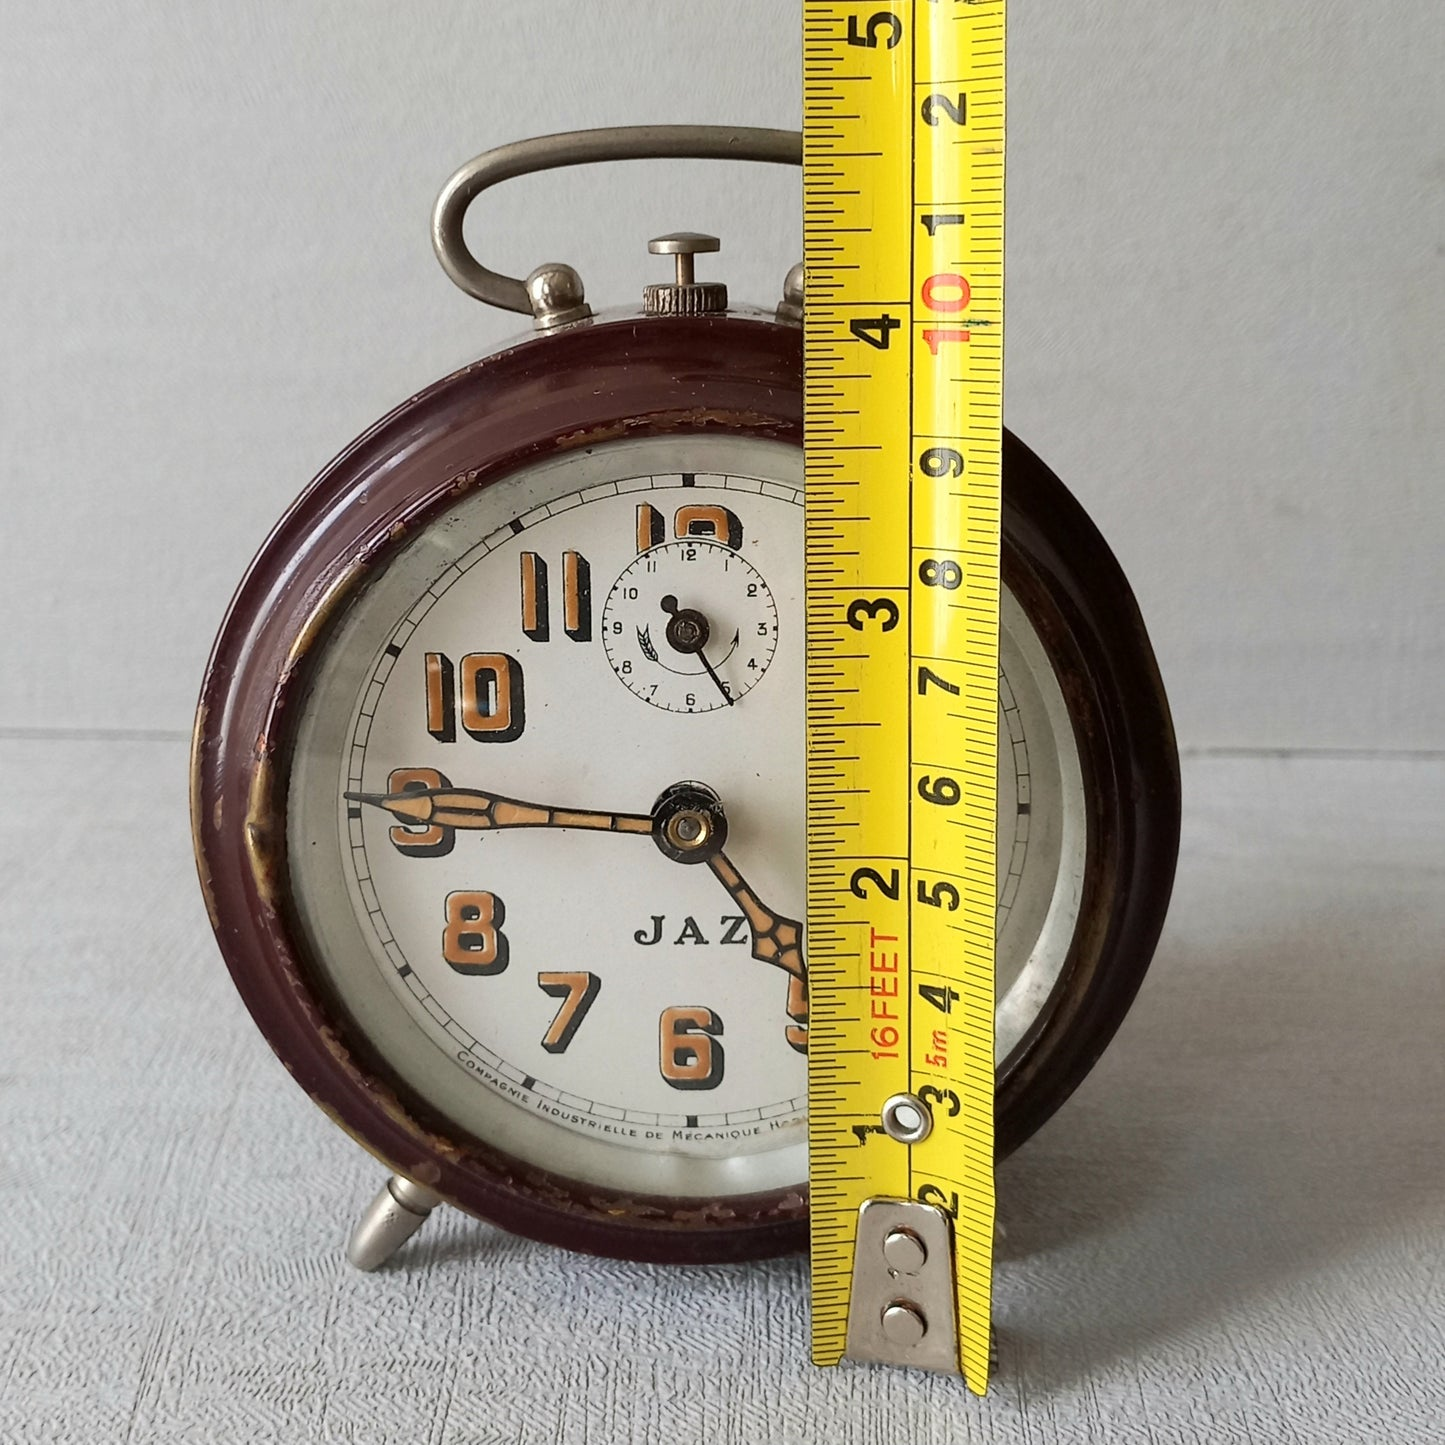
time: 4:45
